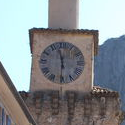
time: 11:30
